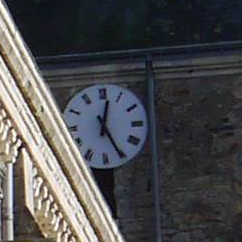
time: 12:25
